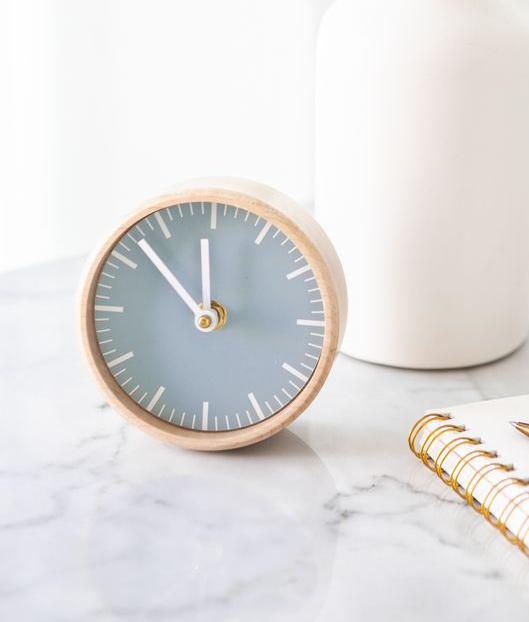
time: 11:52
